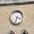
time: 3:32
